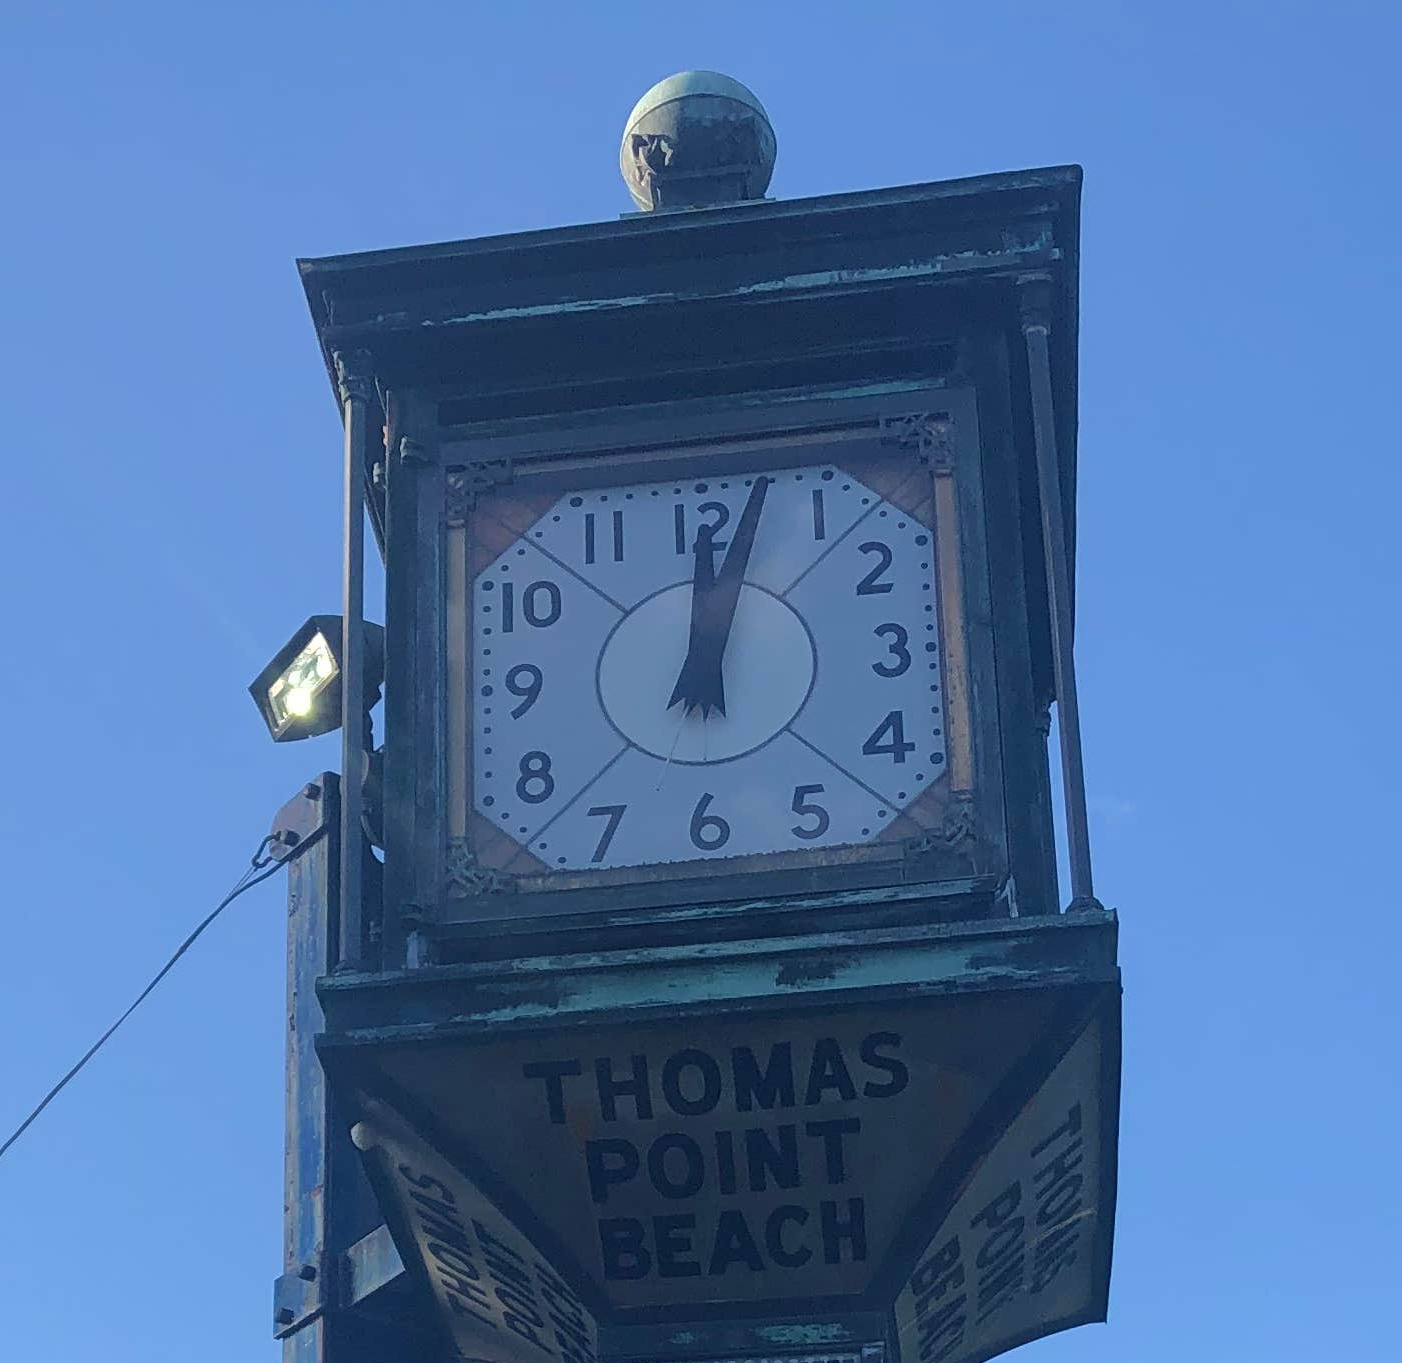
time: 12:02
